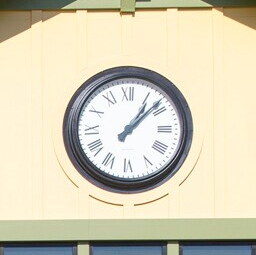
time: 1:08
